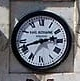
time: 2:42
